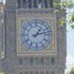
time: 1:12
